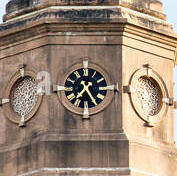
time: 7:24
